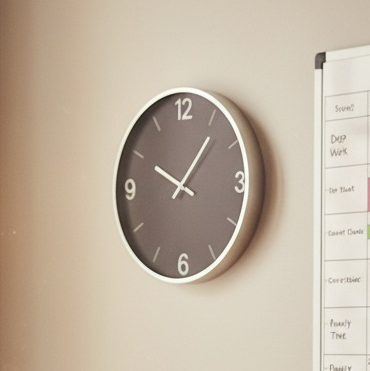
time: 10:06
